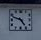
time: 4:48
